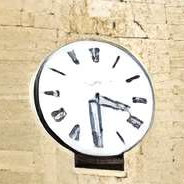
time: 3:29
